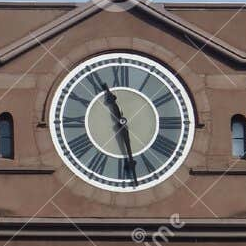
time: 11:28
